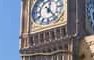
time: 12:23
